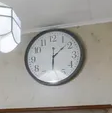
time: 6:08
